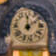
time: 12:09
